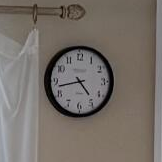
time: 4:42
